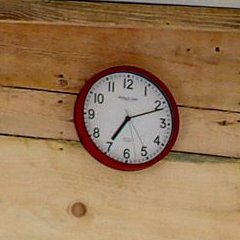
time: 7:11
